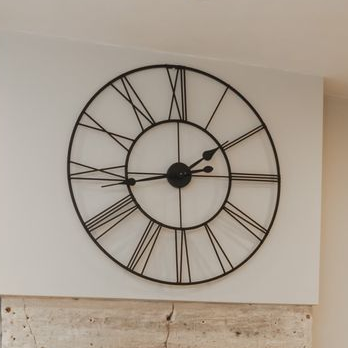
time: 1:43
